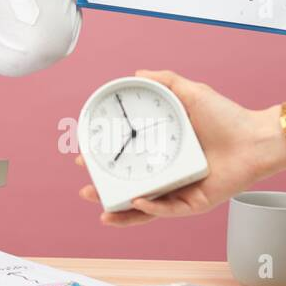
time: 6:55
